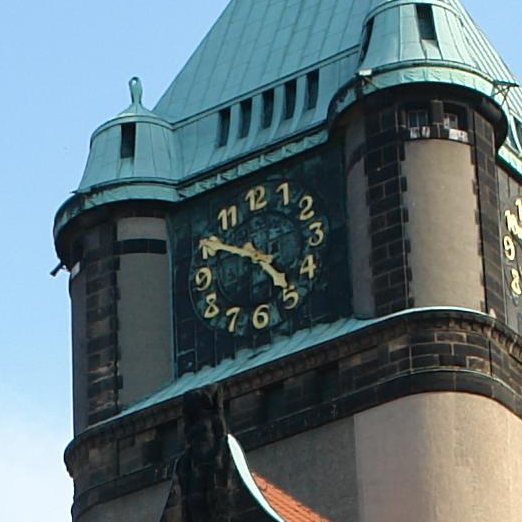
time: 4:50
